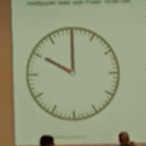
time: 10:00
